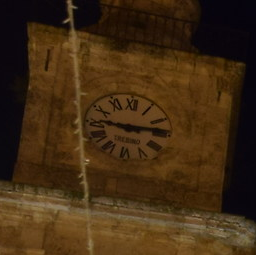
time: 9:13
